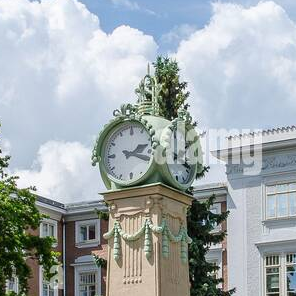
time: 2:18
